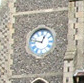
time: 12:47
